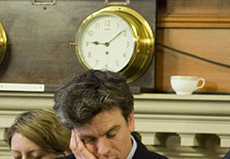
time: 9:08
